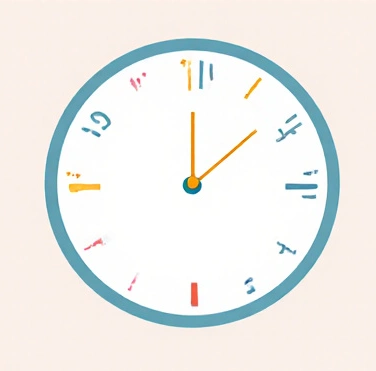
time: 12:08
